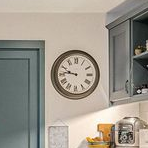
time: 9:46
